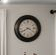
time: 3:40
